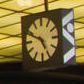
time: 4:48
